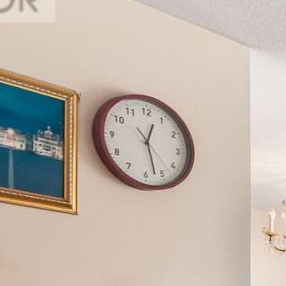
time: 12:27
